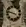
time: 3:47
